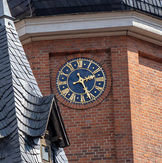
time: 2:25
